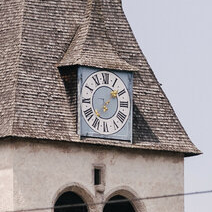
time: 1:37
